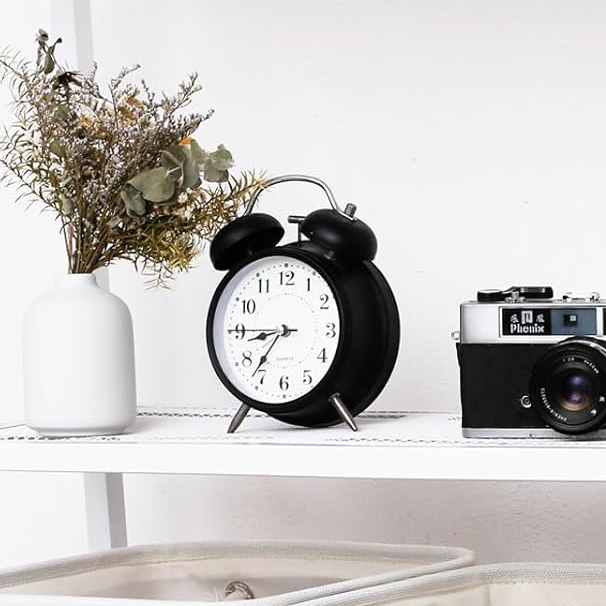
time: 8:36
